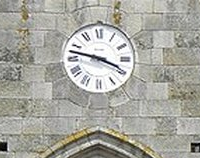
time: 3:47
